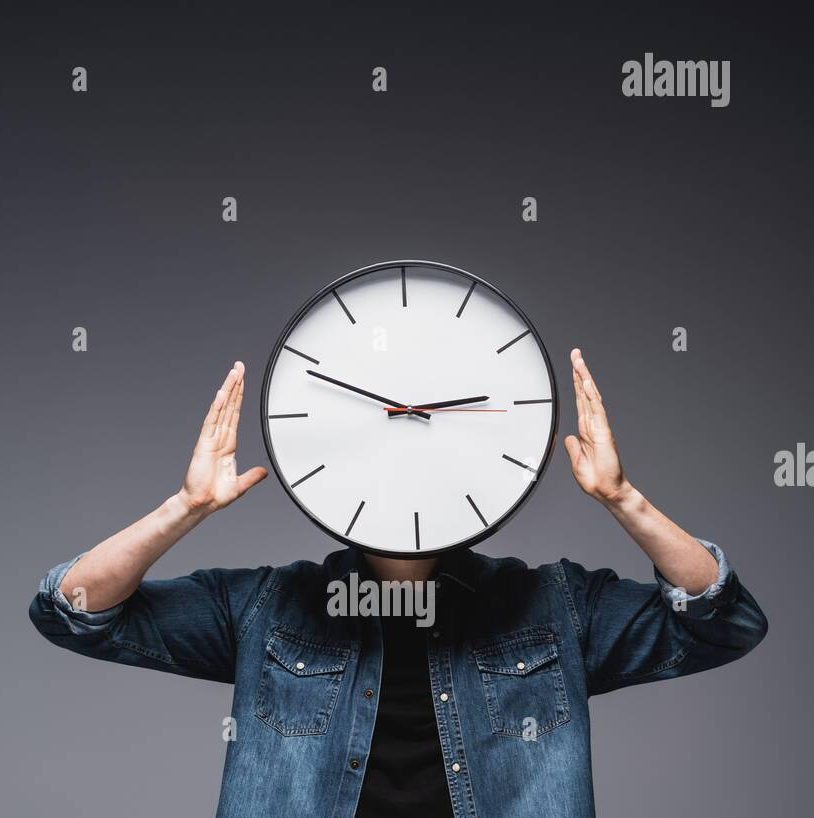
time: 2:48
